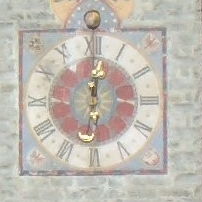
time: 6:01
